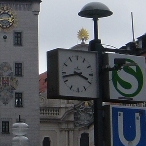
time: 3:42
